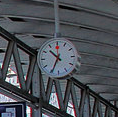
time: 10:34
